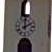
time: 1:59
